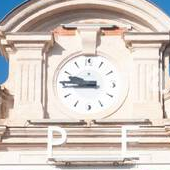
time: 9:45
